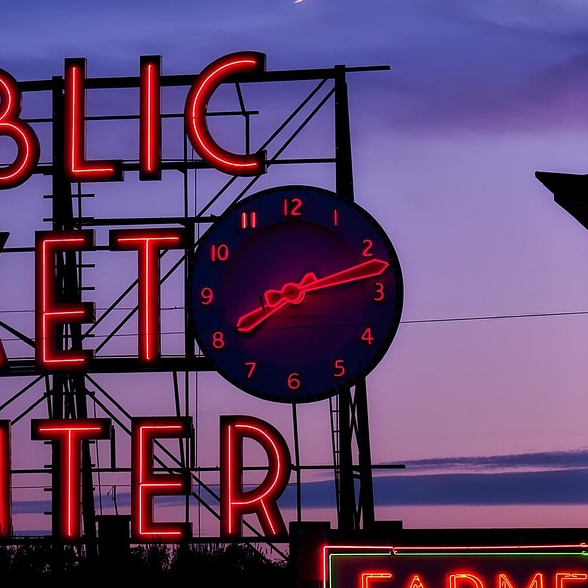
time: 8:13
